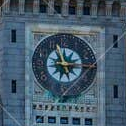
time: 11:14
